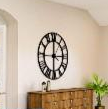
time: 5:59
